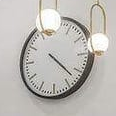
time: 4:21
